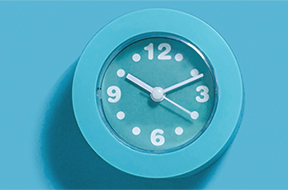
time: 10:11
